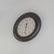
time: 12:30
